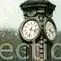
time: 3:32
